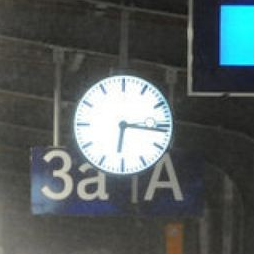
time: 6:16
